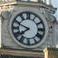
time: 7:48
